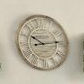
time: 10:13
